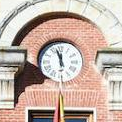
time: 11:57
